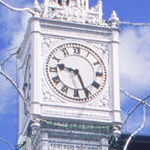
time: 9:25
